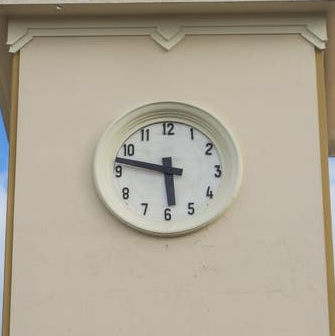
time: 5:47
